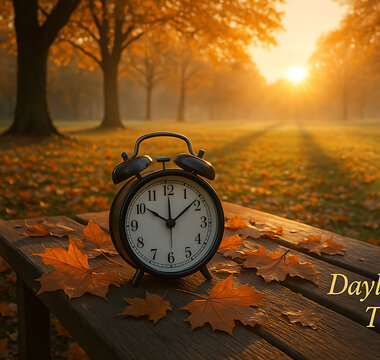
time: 10:08
